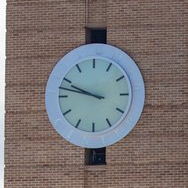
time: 9:47
